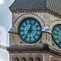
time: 12:36
